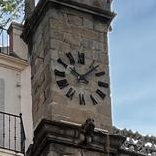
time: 10:07
